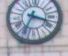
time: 3:34
